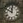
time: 11:50
